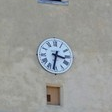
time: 3:32
